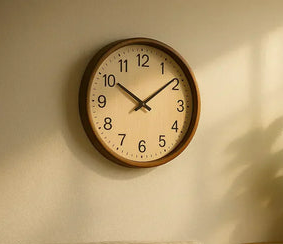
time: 10:08
